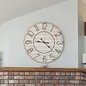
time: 9:22
